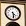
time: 4:29
